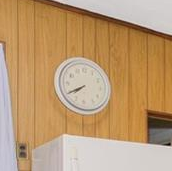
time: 7:40
